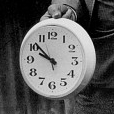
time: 9:51
